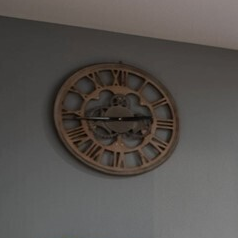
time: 2:43
